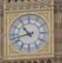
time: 10:42
